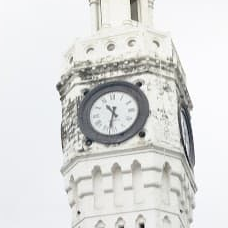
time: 10:32
